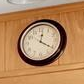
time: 12:20
